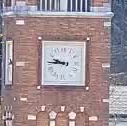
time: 9:45
